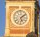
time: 5:08
